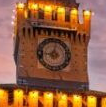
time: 9:01
